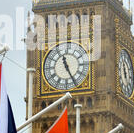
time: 11:25
